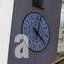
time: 4:02
